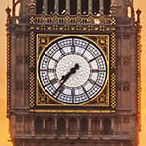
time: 7:36
